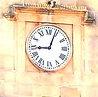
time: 9:03
